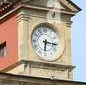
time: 6:16
